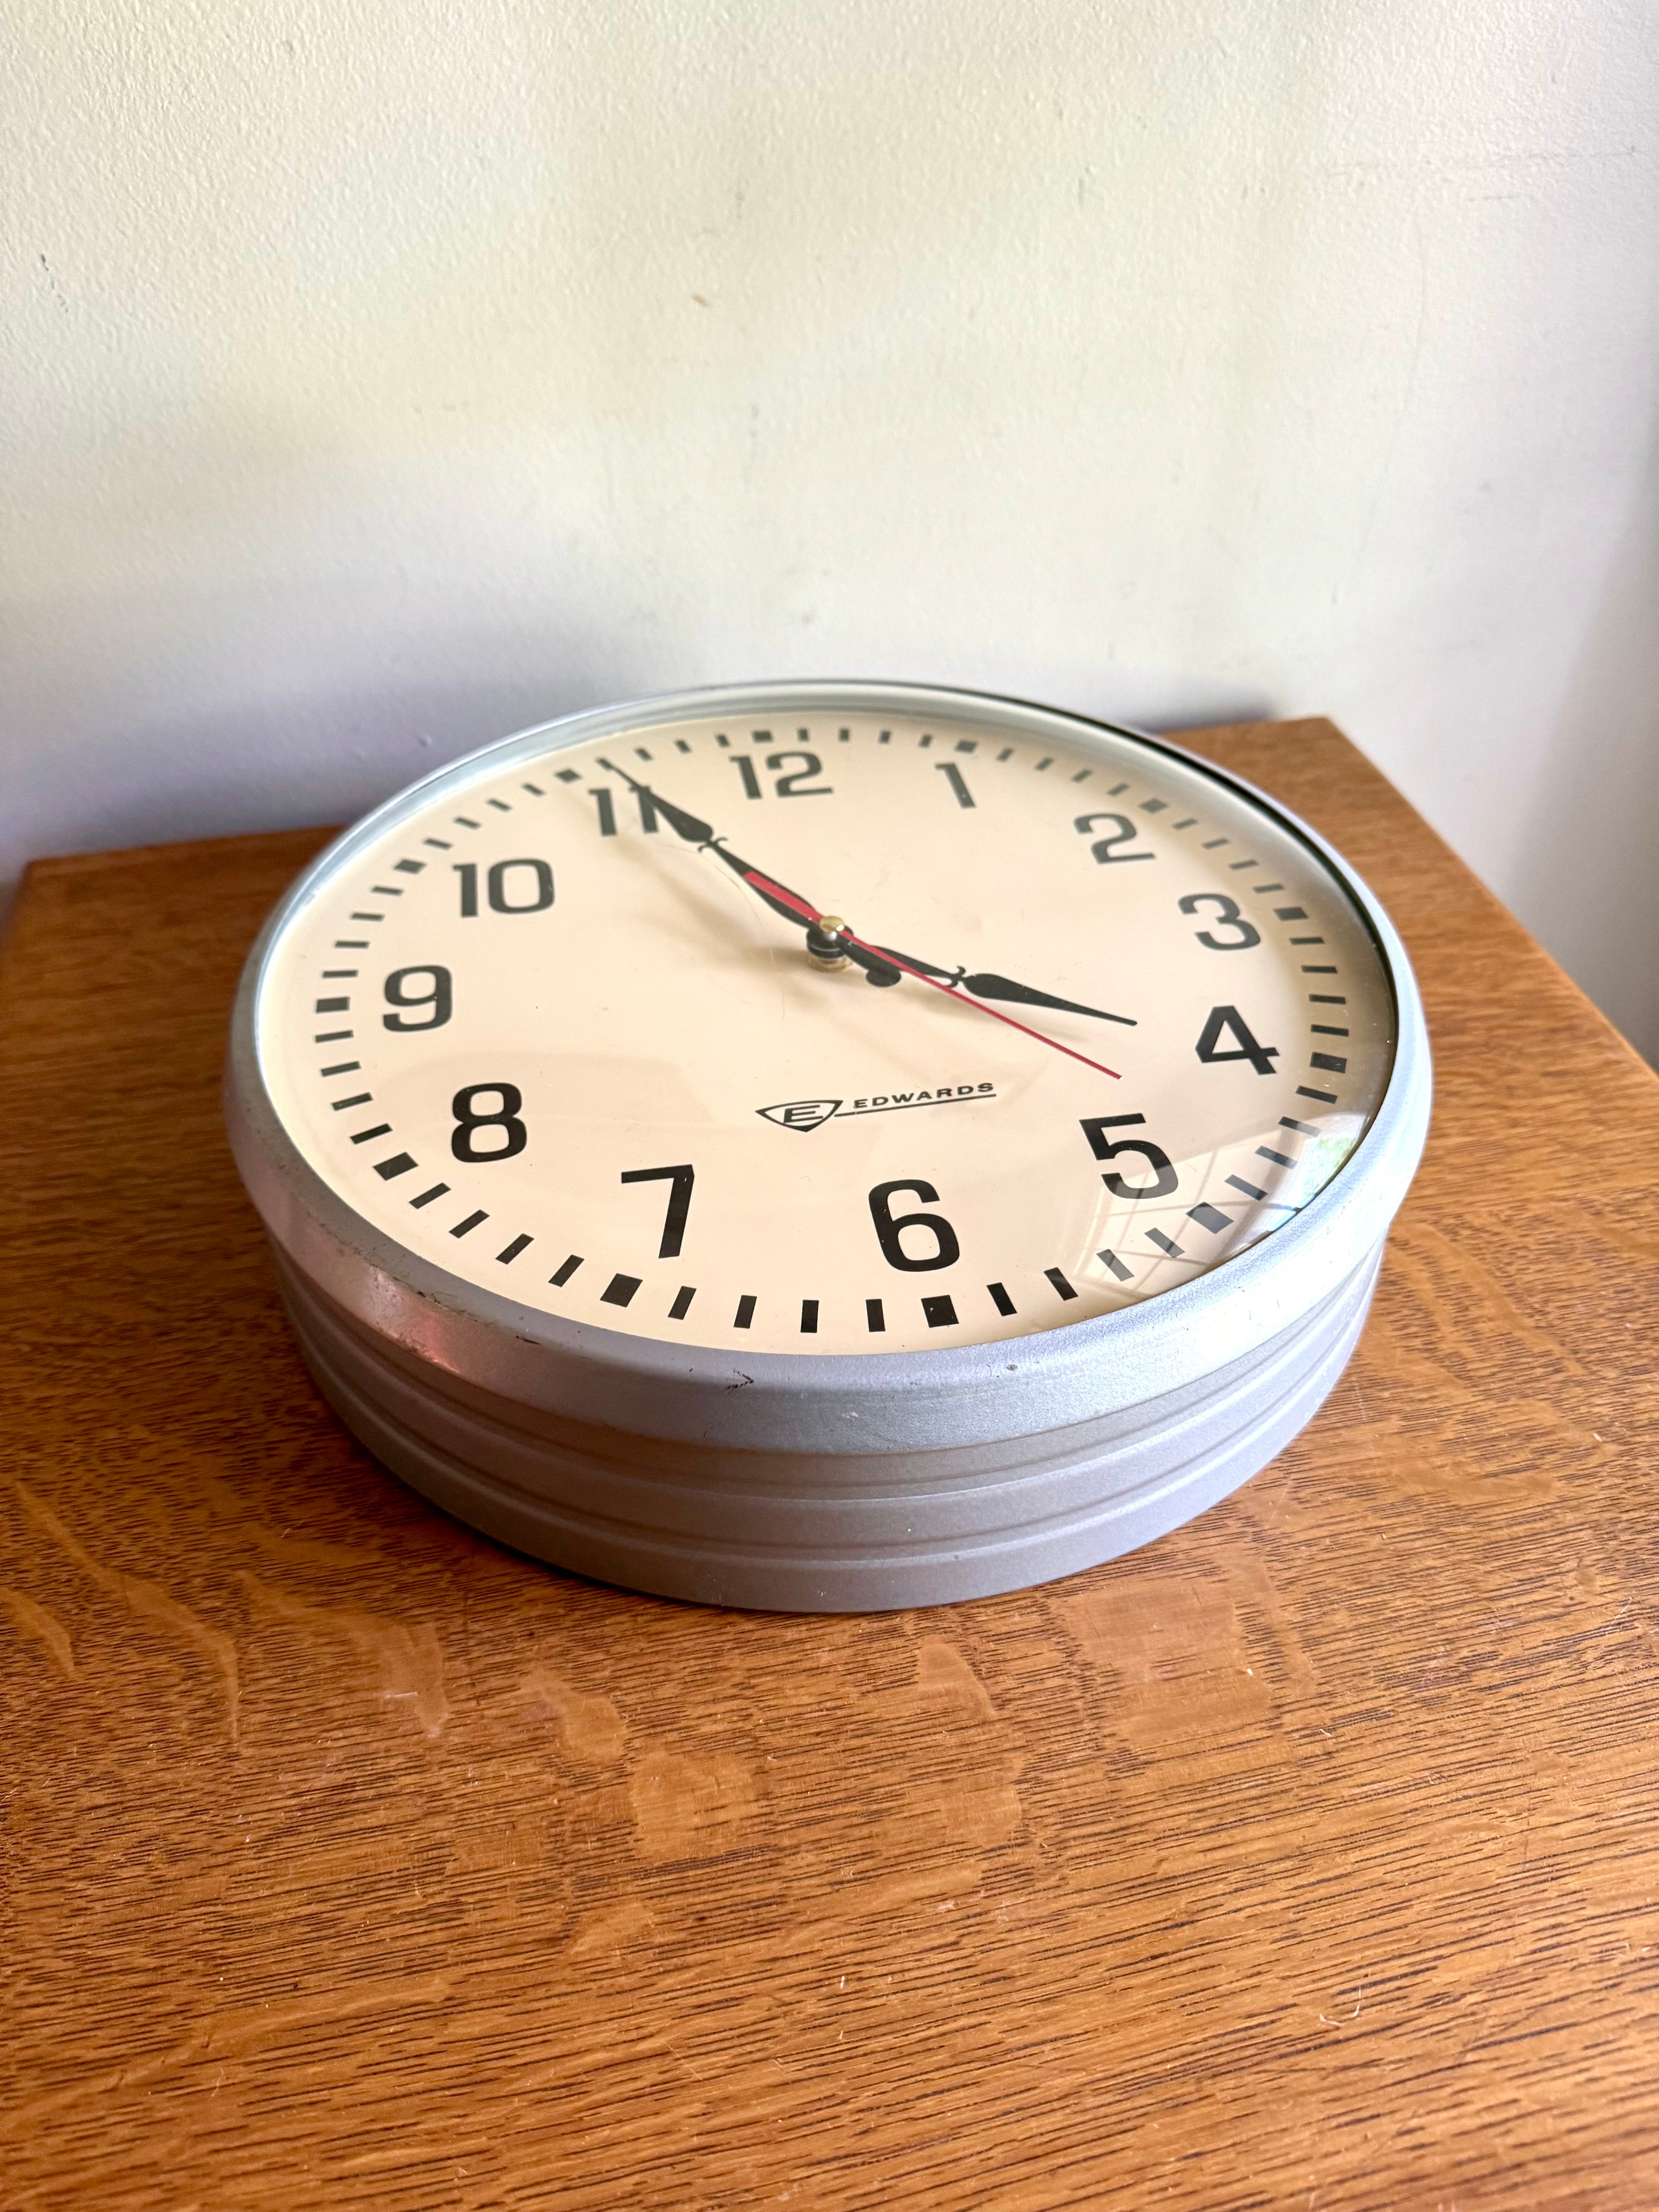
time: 3:55
